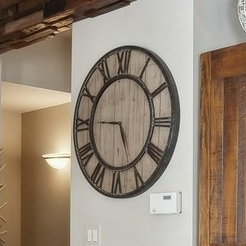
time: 5:45
